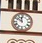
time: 11:51
